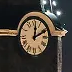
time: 2:01
